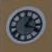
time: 1:18
